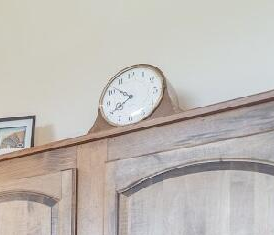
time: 10:40
